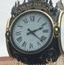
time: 2:21
